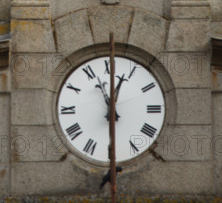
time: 12:29
